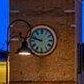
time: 9:47
